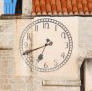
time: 6:41
